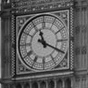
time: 11:19
